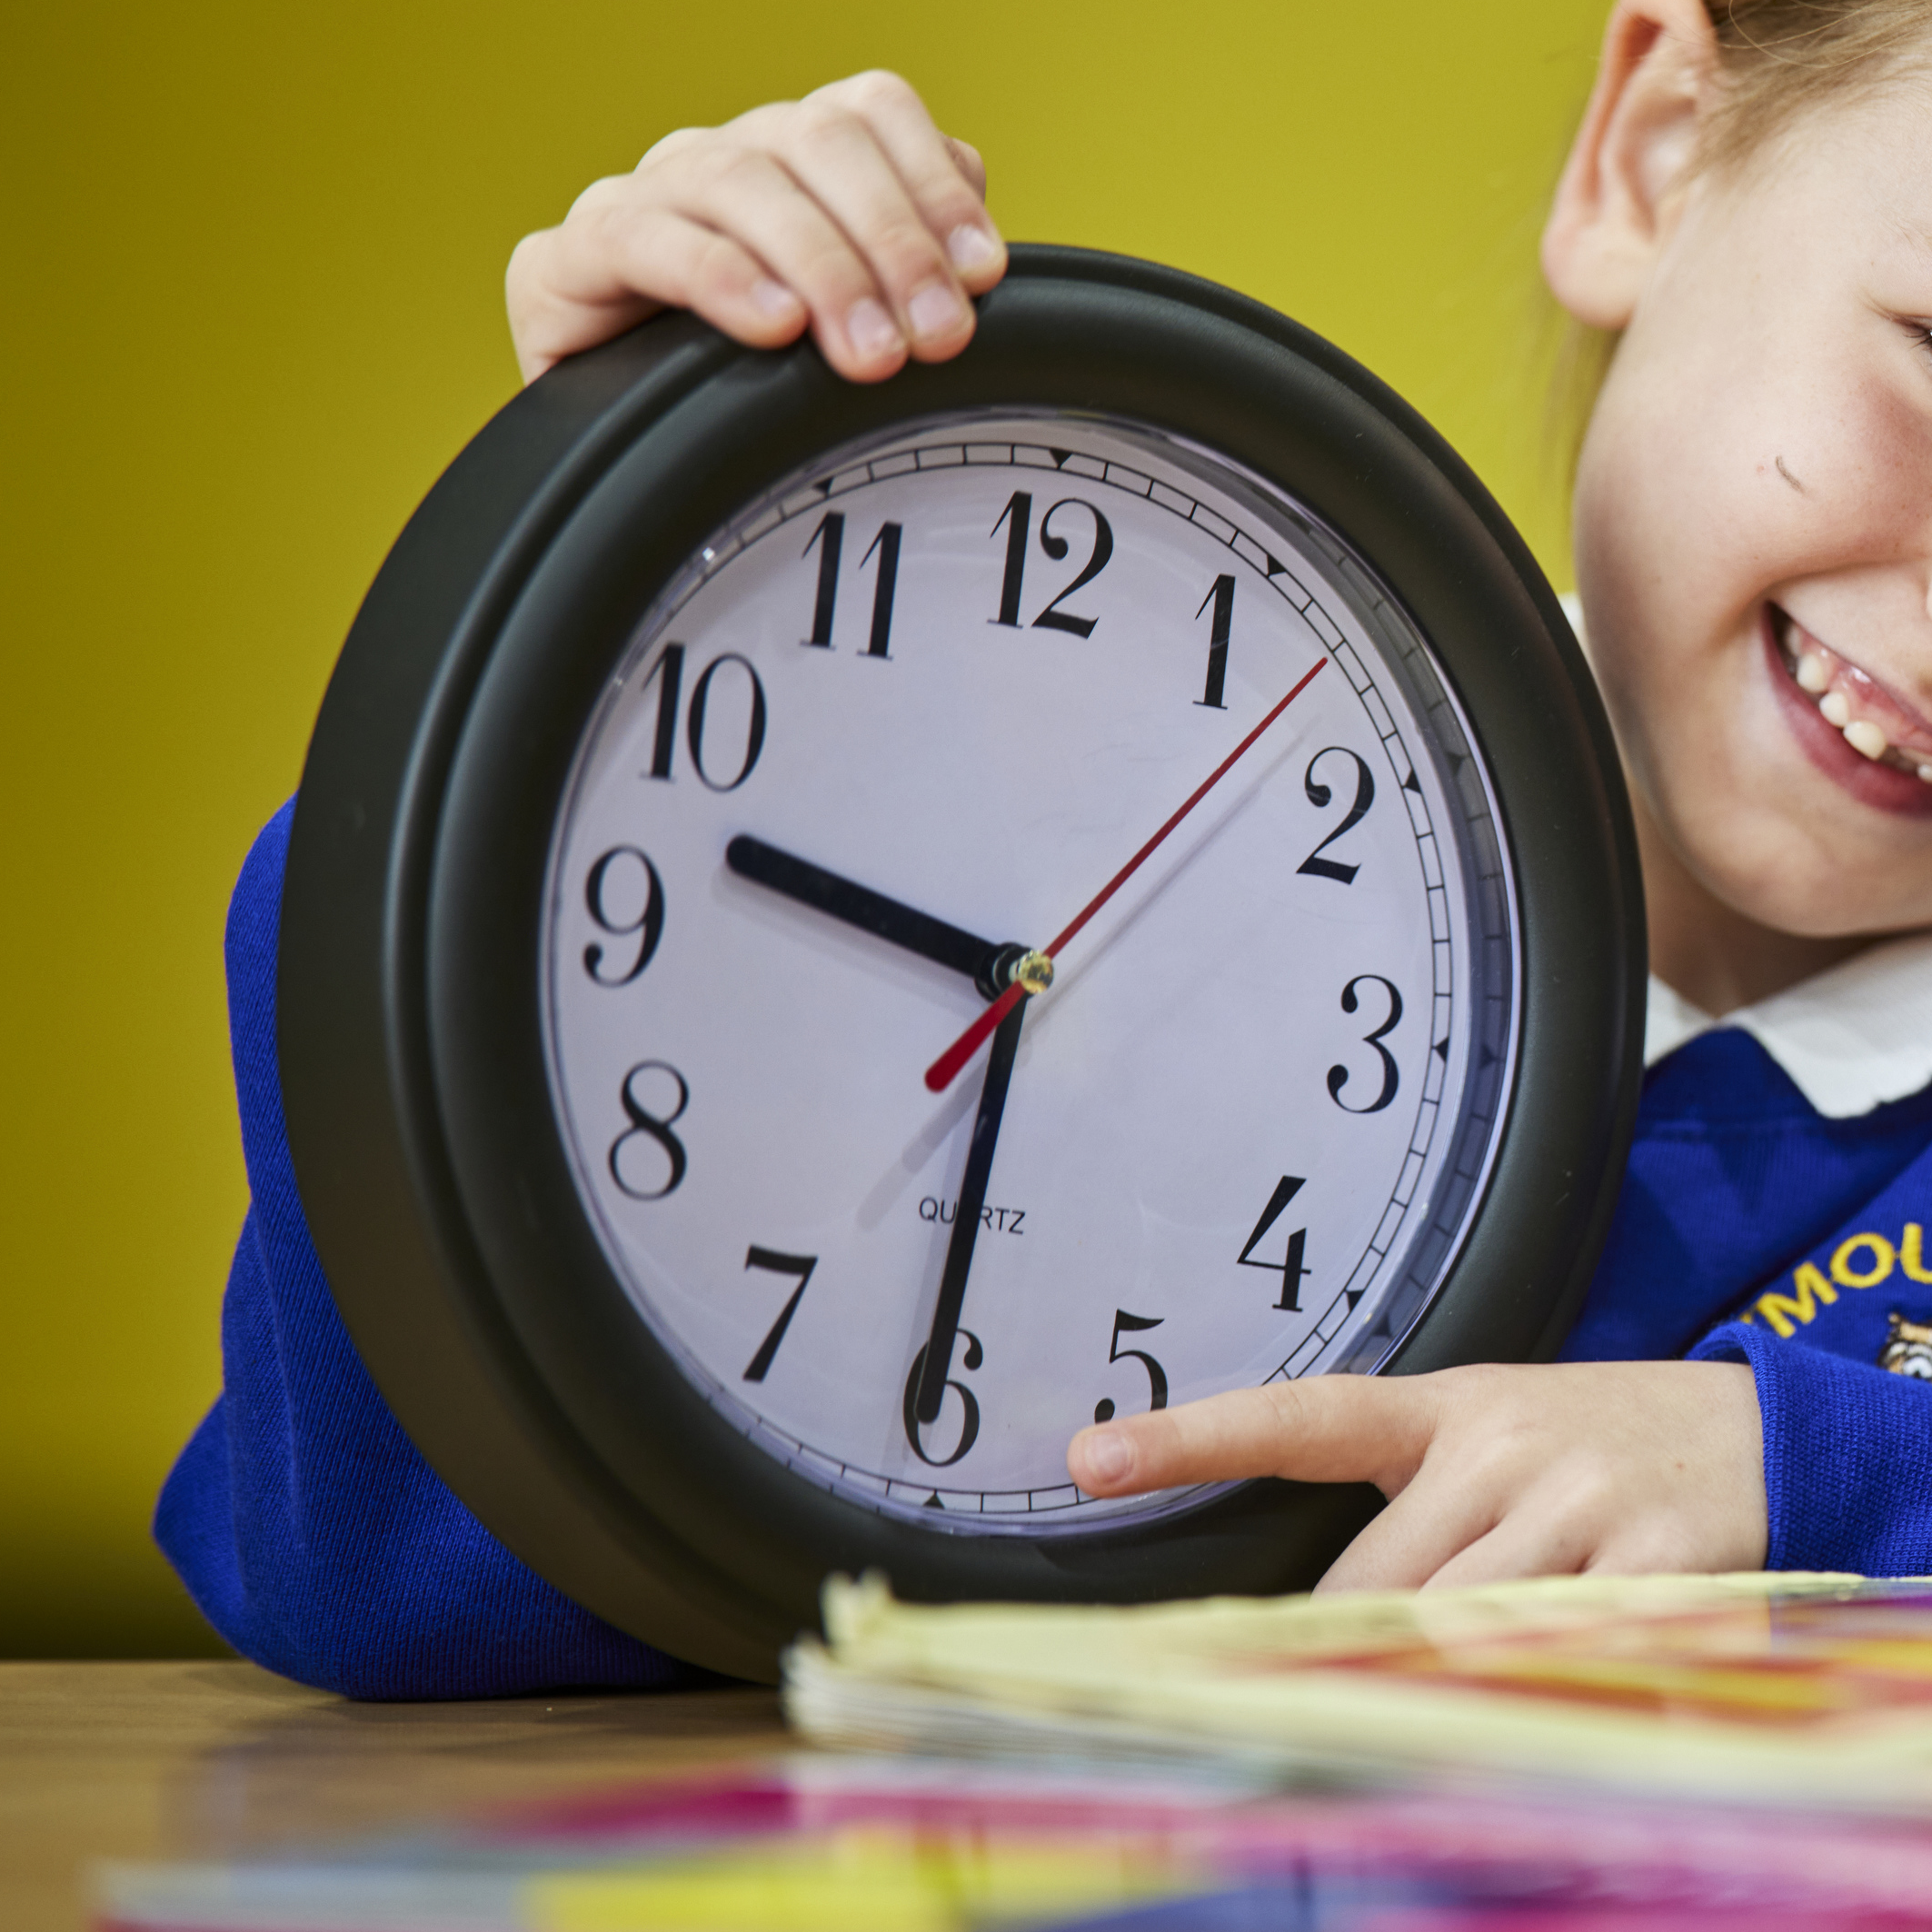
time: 9:30
